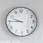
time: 9:45
